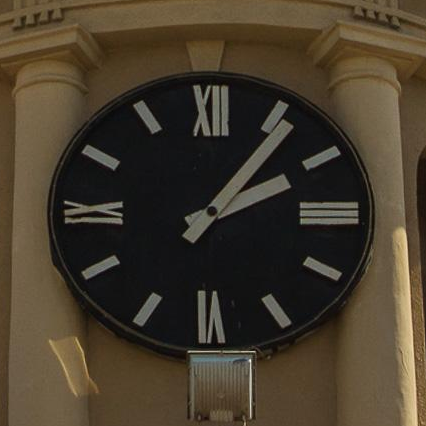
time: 2:06
